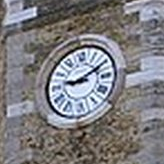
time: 9:10
